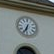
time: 6:34
